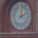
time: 2:01
